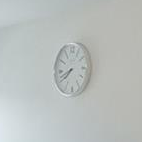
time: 7:42
